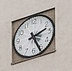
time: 2:26
